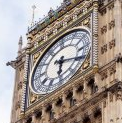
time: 6:18
